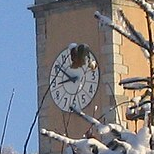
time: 8:50
